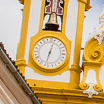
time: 7:04
